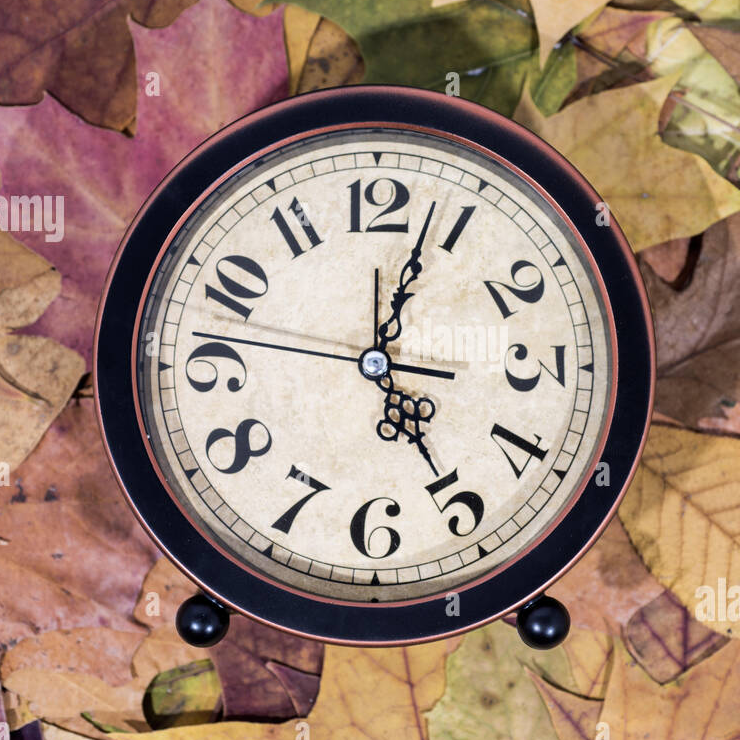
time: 5:03
